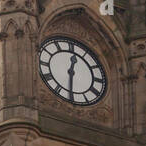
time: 12:30
